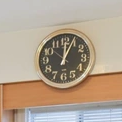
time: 12:04
